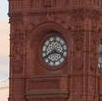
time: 3:40
